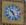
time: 10:26
